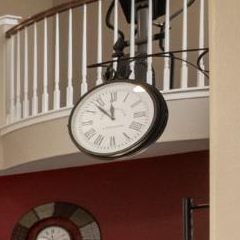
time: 11:52
